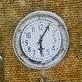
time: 6:05
